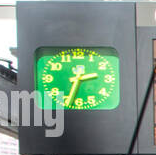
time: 2:33
